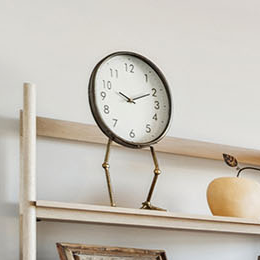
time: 9:10
